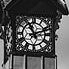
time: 11:11
